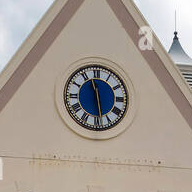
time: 11:28
